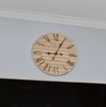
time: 9:04
